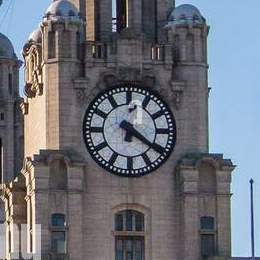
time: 4:20
